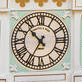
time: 10:35
